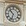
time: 10:32
